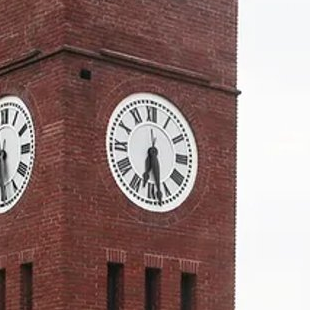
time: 6:28
